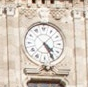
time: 4:25
